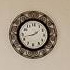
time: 1:42
